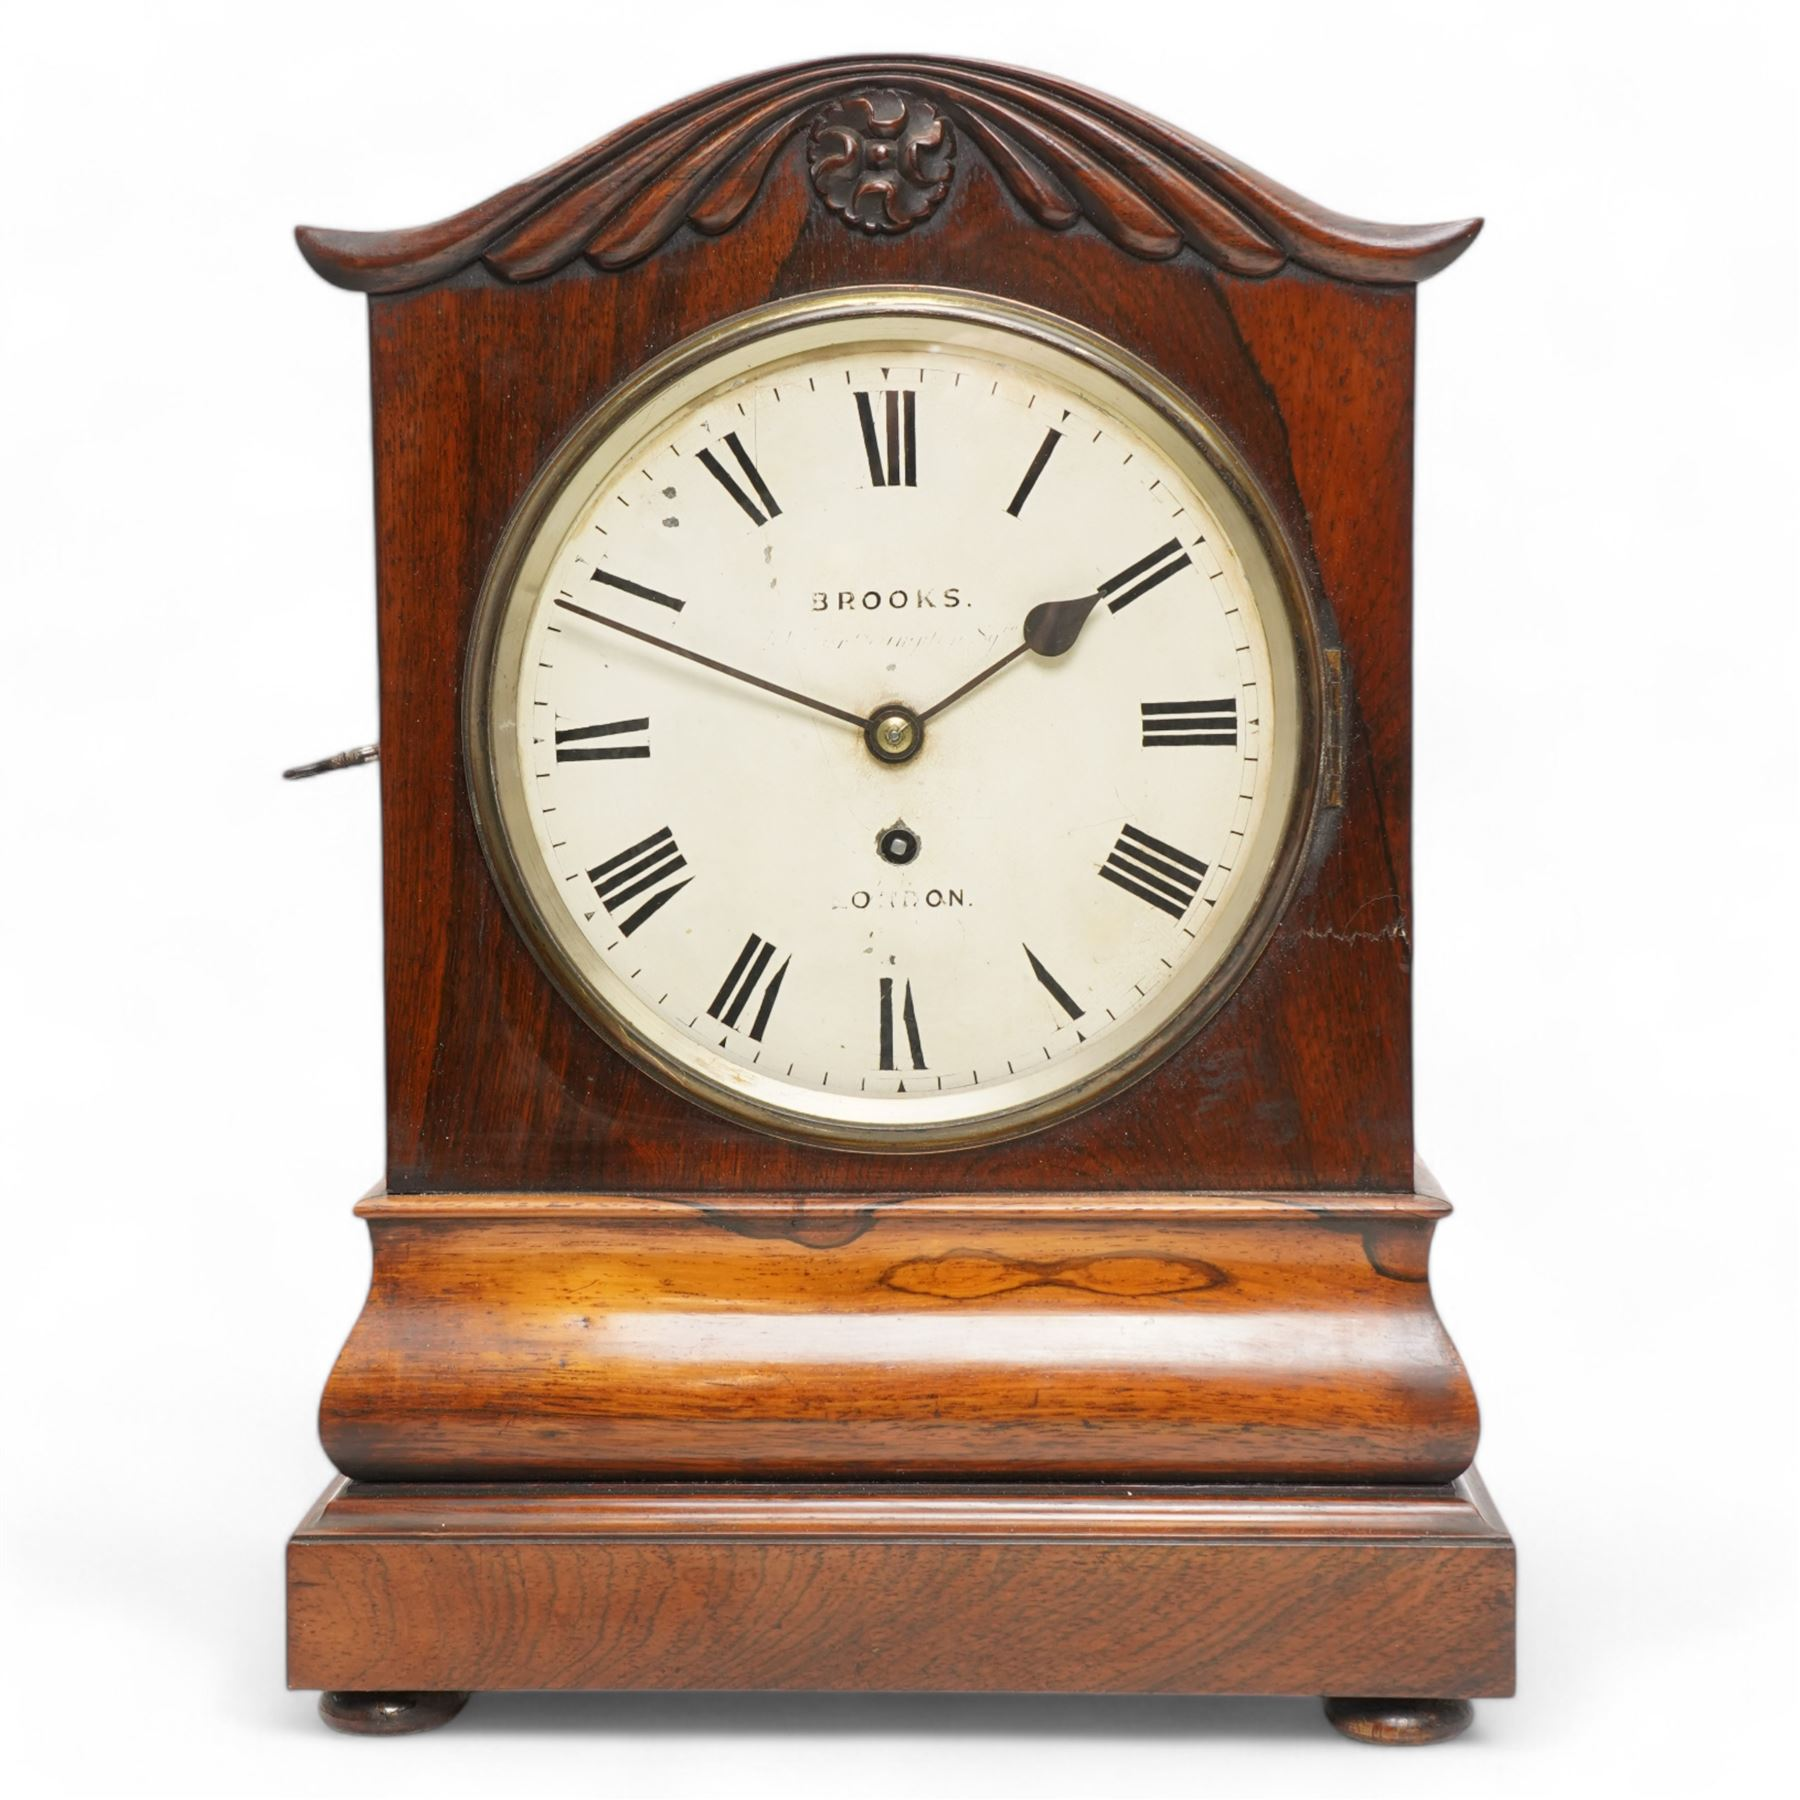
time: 1:49
